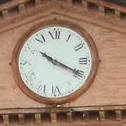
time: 10:19
